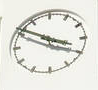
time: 3:50
